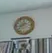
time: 8:38
